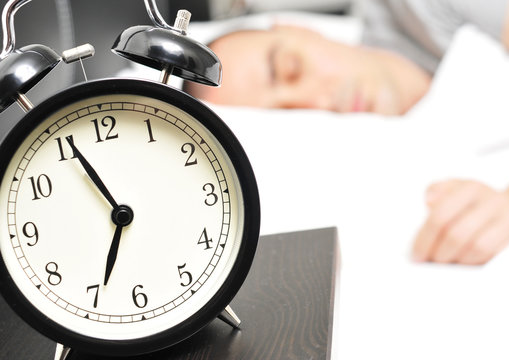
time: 6:55
